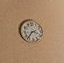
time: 2:36
